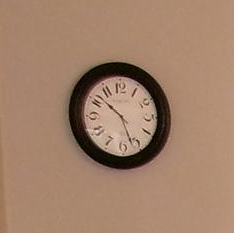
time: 10:26
